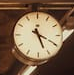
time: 5:19
